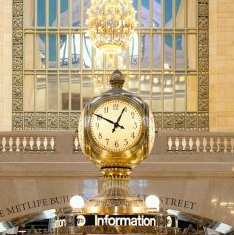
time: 12:49
